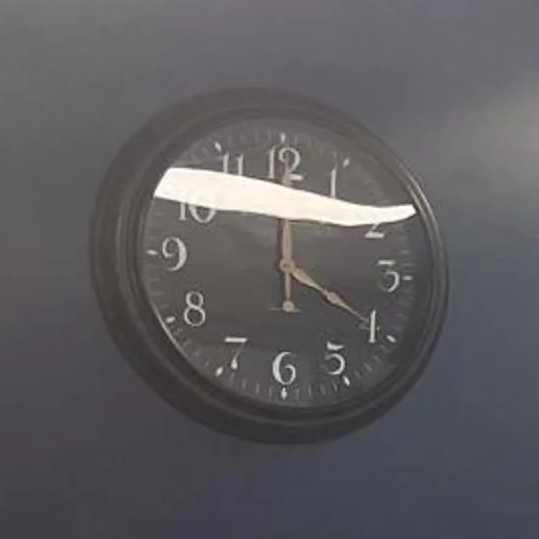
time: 4:00
